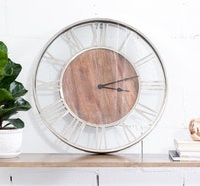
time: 3:12
